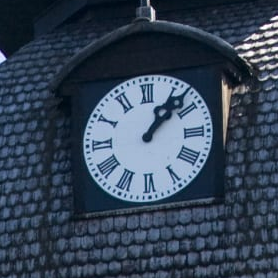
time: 1:07
